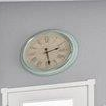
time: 2:28
